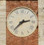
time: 2:37
